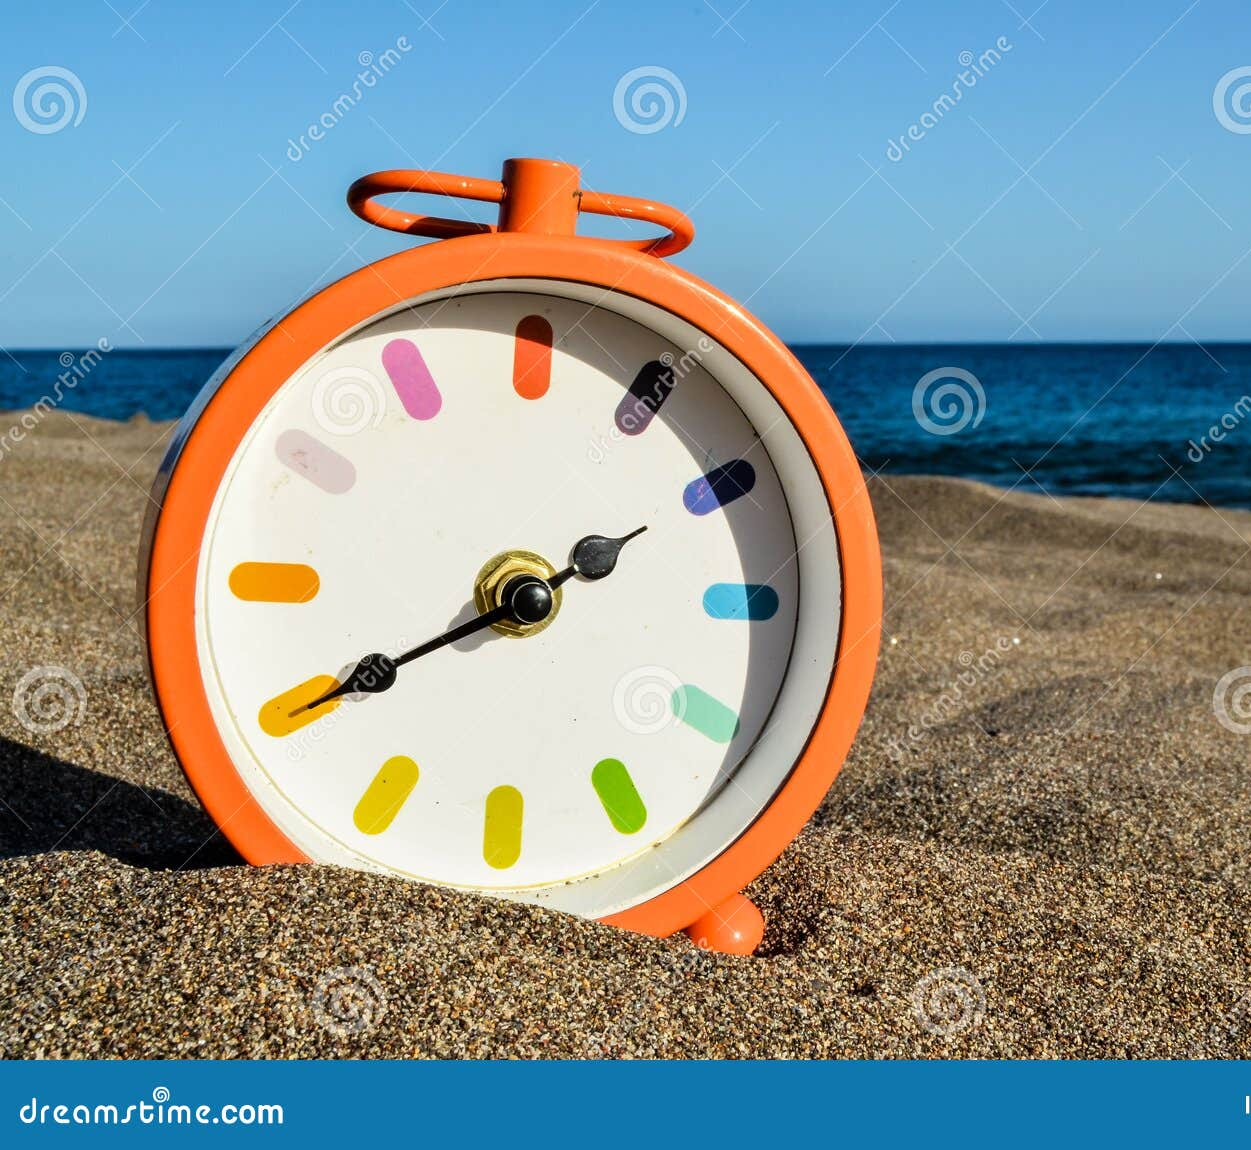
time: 1:39
